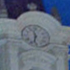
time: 11:32
